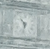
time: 10:32
